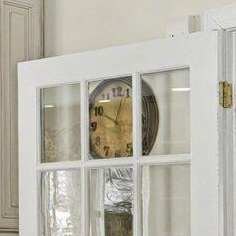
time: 12:49
